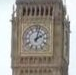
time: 2:02
